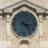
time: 3:23
